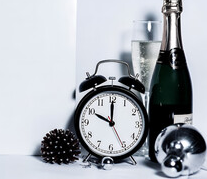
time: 10:00
